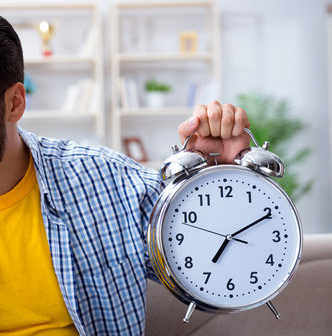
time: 7:10
